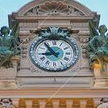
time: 8:53
